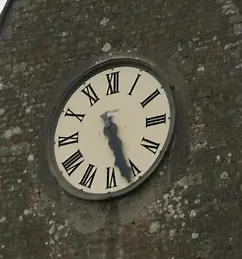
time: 5:26
